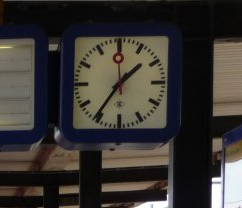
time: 1:36
